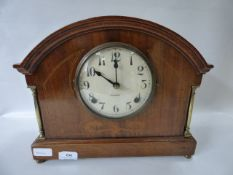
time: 10:00
